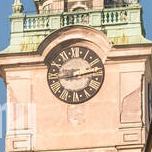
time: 8:12
